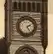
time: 2:24
